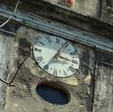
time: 3:04
